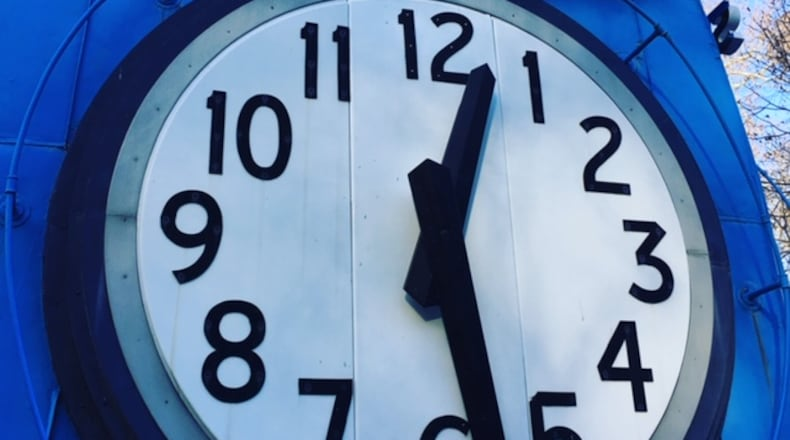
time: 12:28
